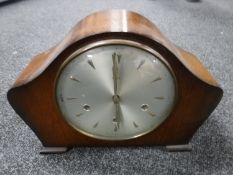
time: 5:59
